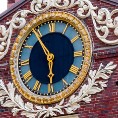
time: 5:54
